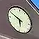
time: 5:49
